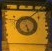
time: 5:26
